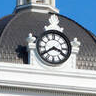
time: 3:39
